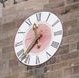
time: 11:37
